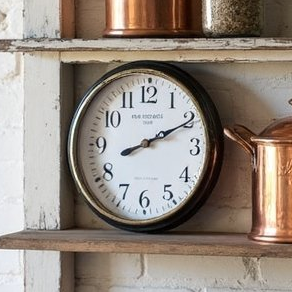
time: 8:10
